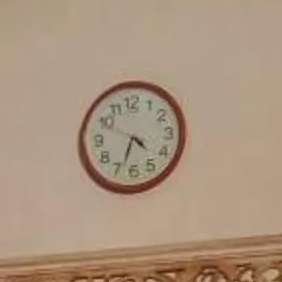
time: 4:33
